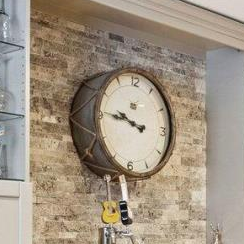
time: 9:45
